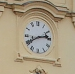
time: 2:40
